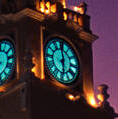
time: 5:59
